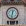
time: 12:32
